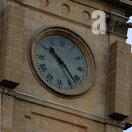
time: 10:22
